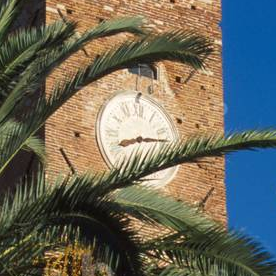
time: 8:14
